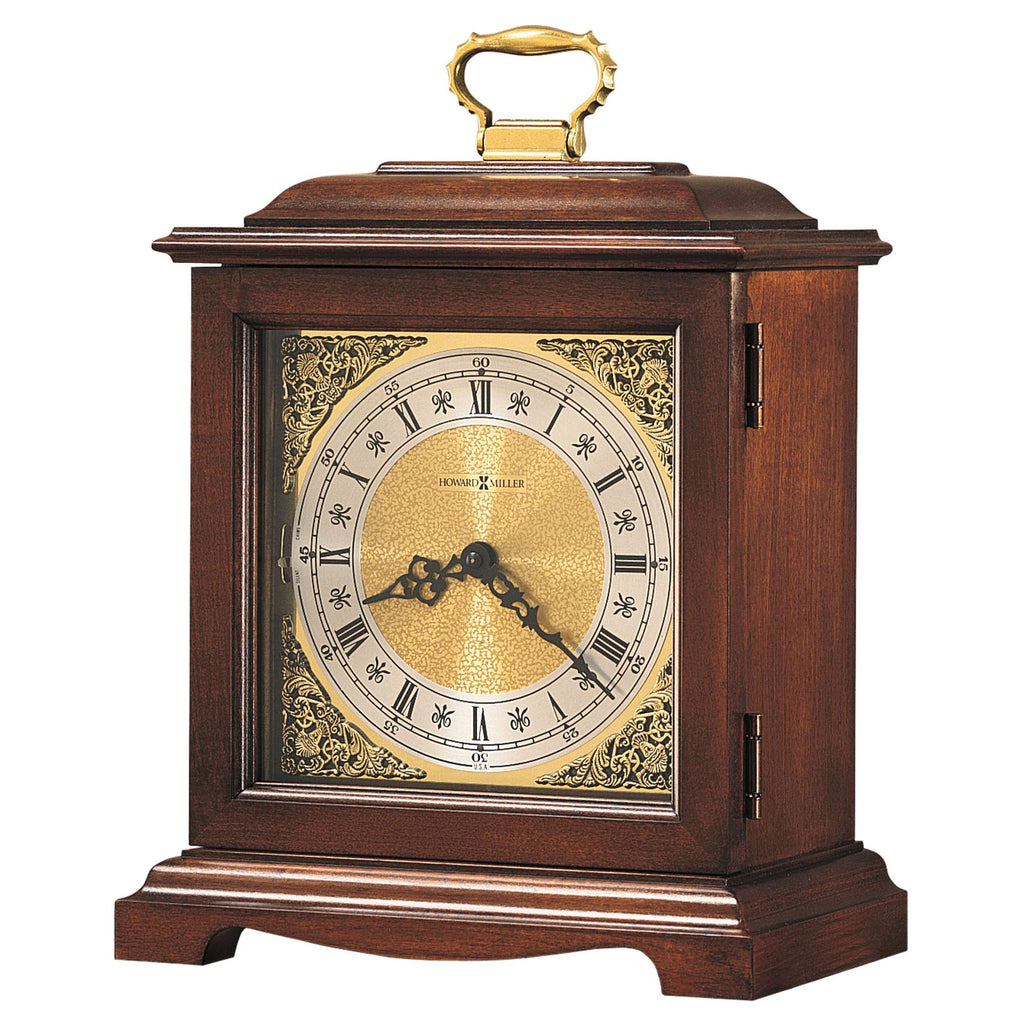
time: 8:21
